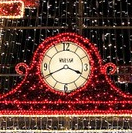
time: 3:40
